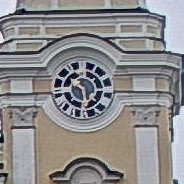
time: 10:28
